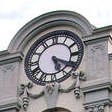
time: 5:19
